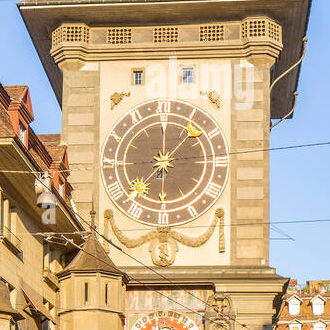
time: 6:00
